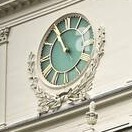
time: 10:55
